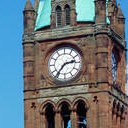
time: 2:36
